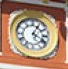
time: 4:04
